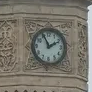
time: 1:55
